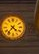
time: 4:36
